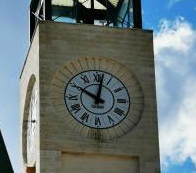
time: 10:02
